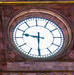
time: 9:30
